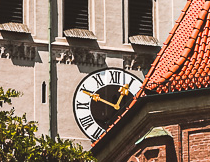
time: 12:49
